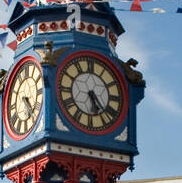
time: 5:23
